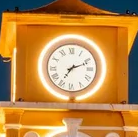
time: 7:11
